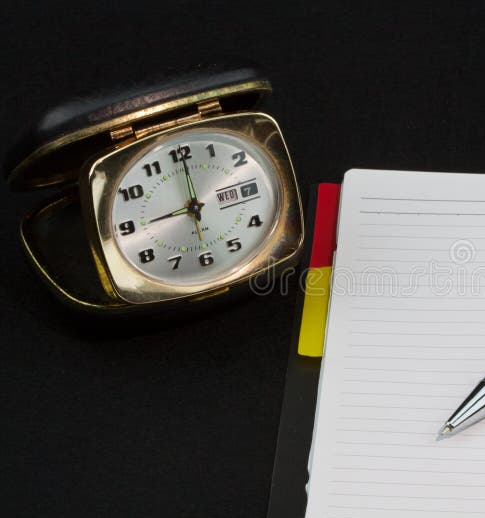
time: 9:00
